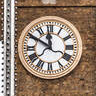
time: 11:50
